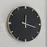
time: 12:18
